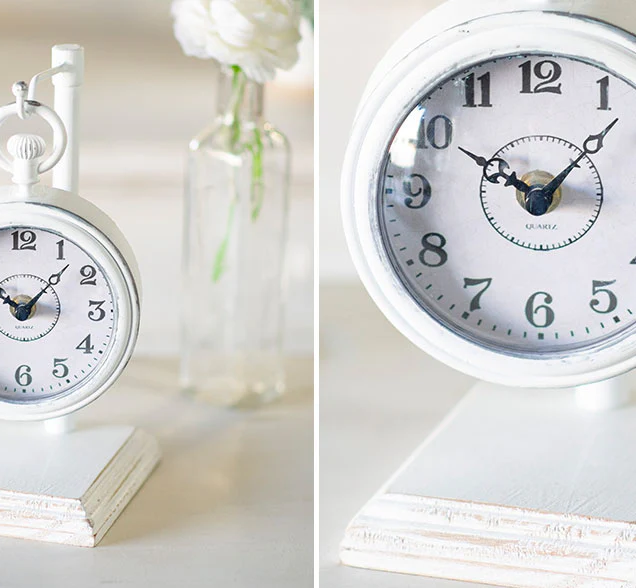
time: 10:07
